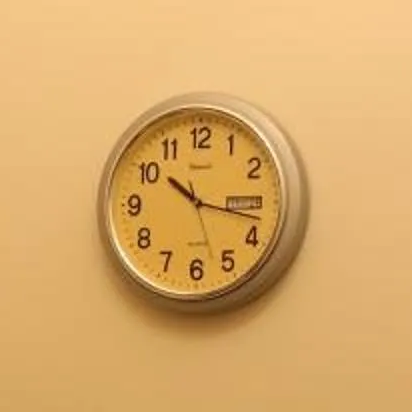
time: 10:17
